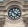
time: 3:52
